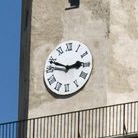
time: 2:48
